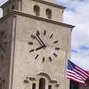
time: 7:52
